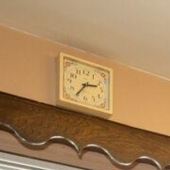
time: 2:35
